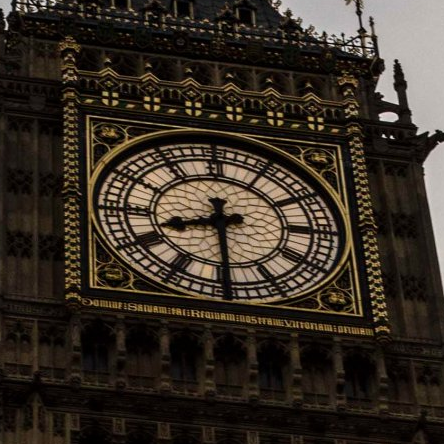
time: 8:29
